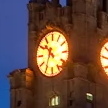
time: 10:34
